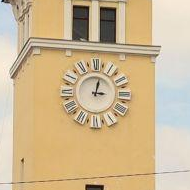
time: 3:02
